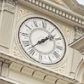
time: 1:37
